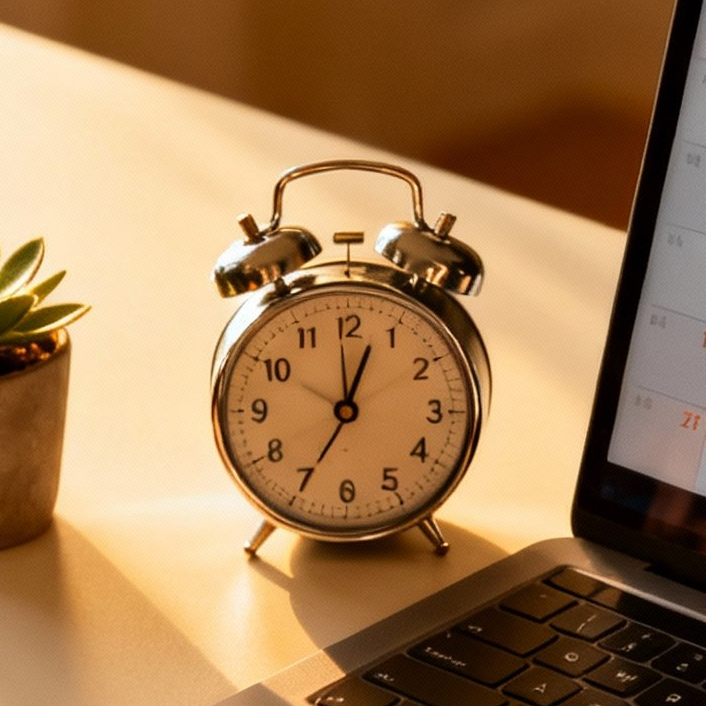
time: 12:34
